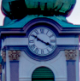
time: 3:50
